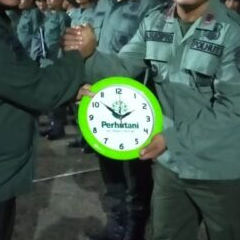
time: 1:52
